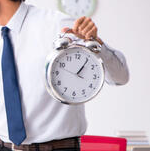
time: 1:05
